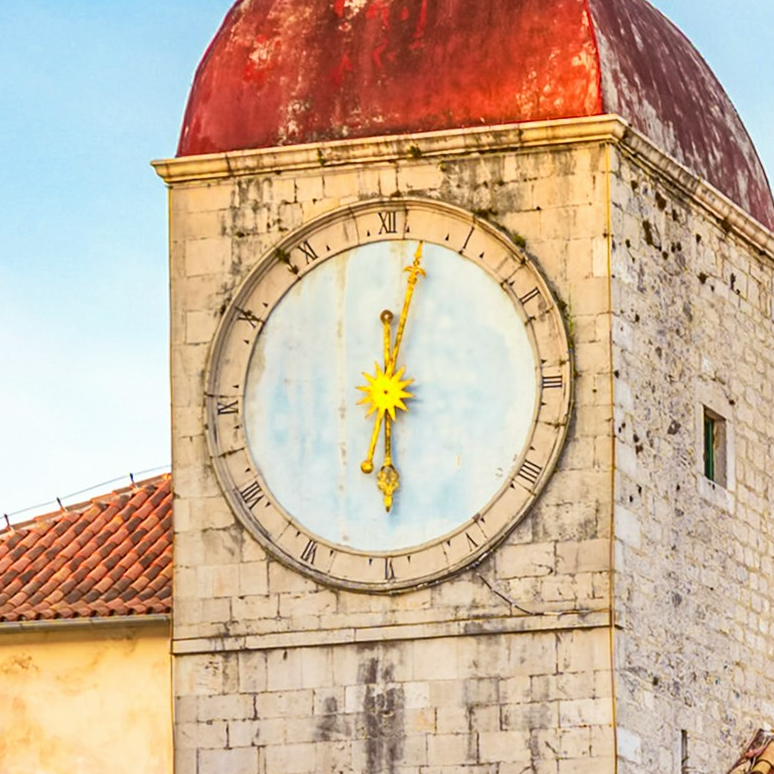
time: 6:02
